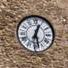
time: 12:28
